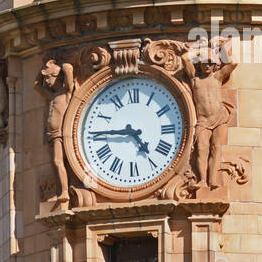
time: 4:45
